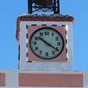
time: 10:20
